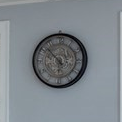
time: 5:52
